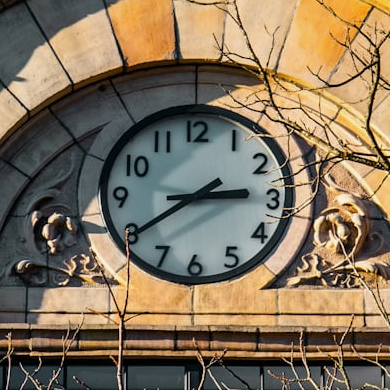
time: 2:39
